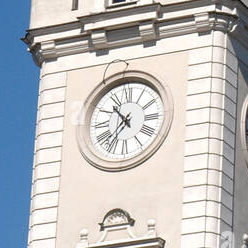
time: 10:36
